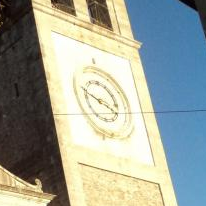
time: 3:48
